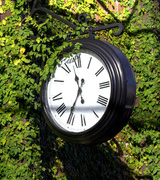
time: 11:35
